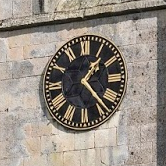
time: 1:23
